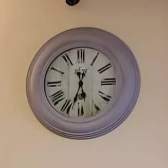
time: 5:33
